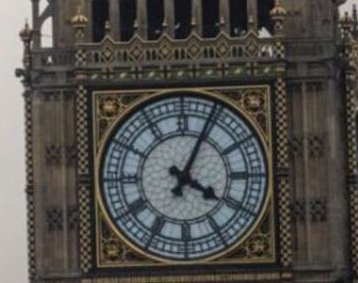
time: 4:04
